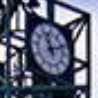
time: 11:11
